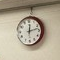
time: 12:12
